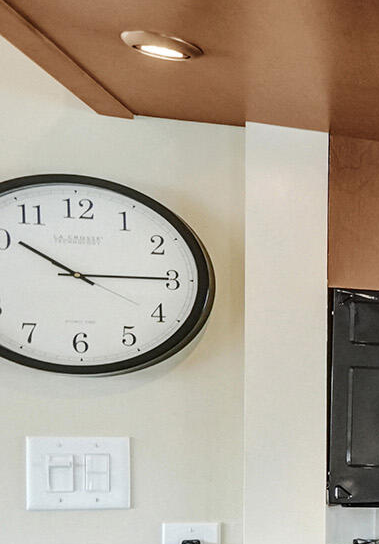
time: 10:14
